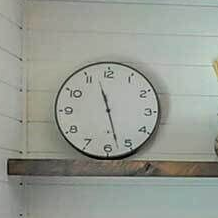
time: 11:27
